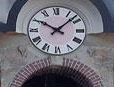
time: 10:07
